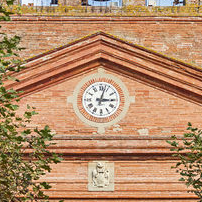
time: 3:02
